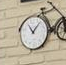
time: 11:07
